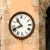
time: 10:41
